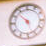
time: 4:52
